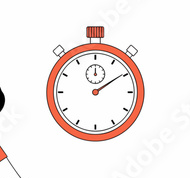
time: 12:09
